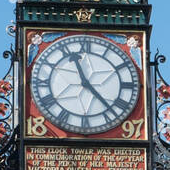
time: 11:22
